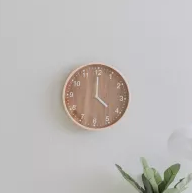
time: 4:00
